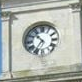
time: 10:35
